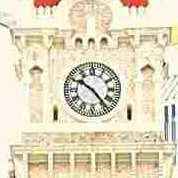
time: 10:23
